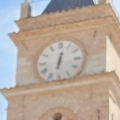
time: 12:32
